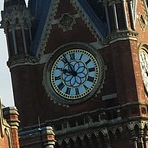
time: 9:56
